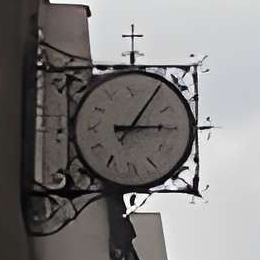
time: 3:05
